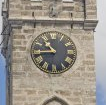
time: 10:43
